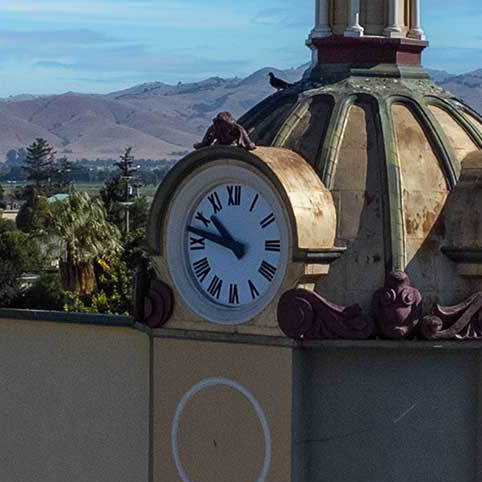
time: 10:47
